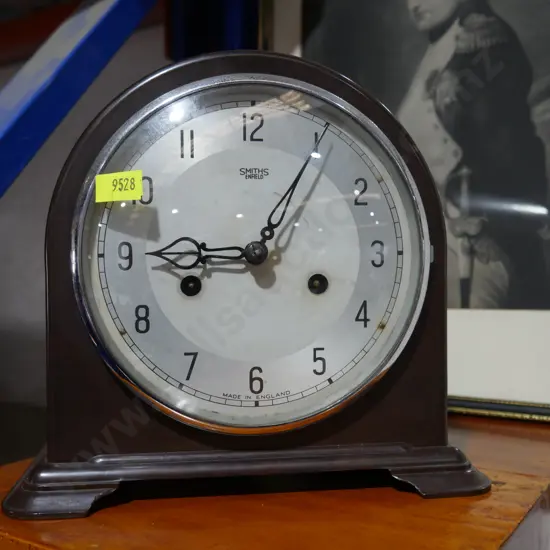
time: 9:05
